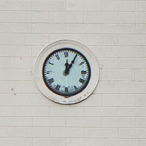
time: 12:05
